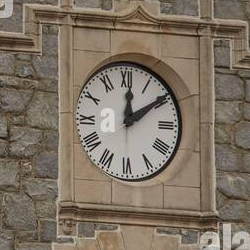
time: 12:09
